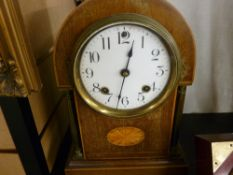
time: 12:32
